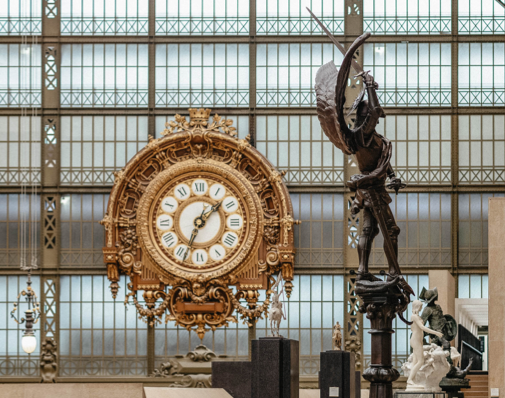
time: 1:33
